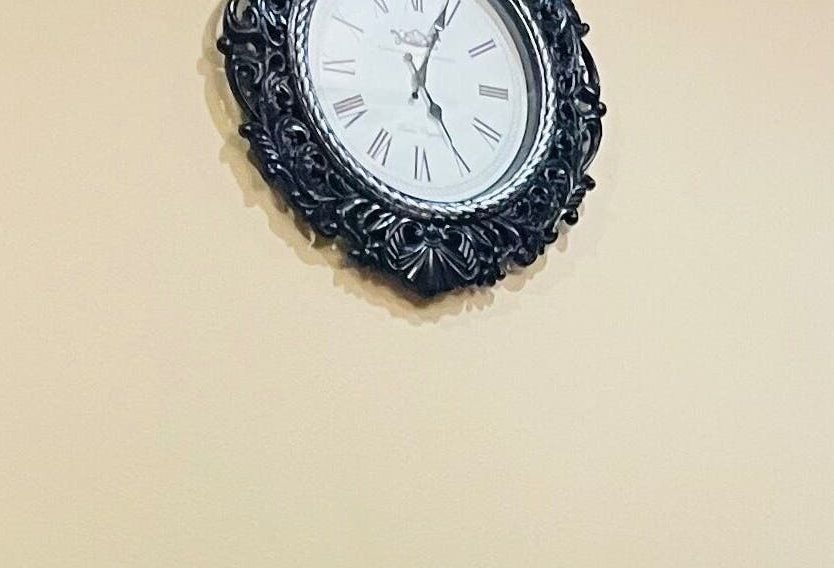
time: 5:03
